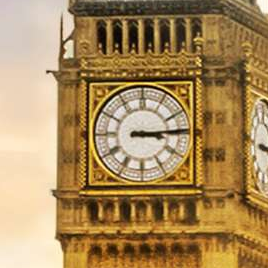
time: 3:14
